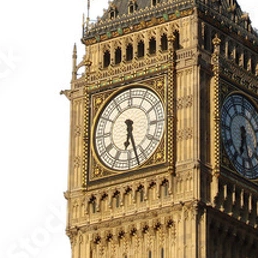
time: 6:27
